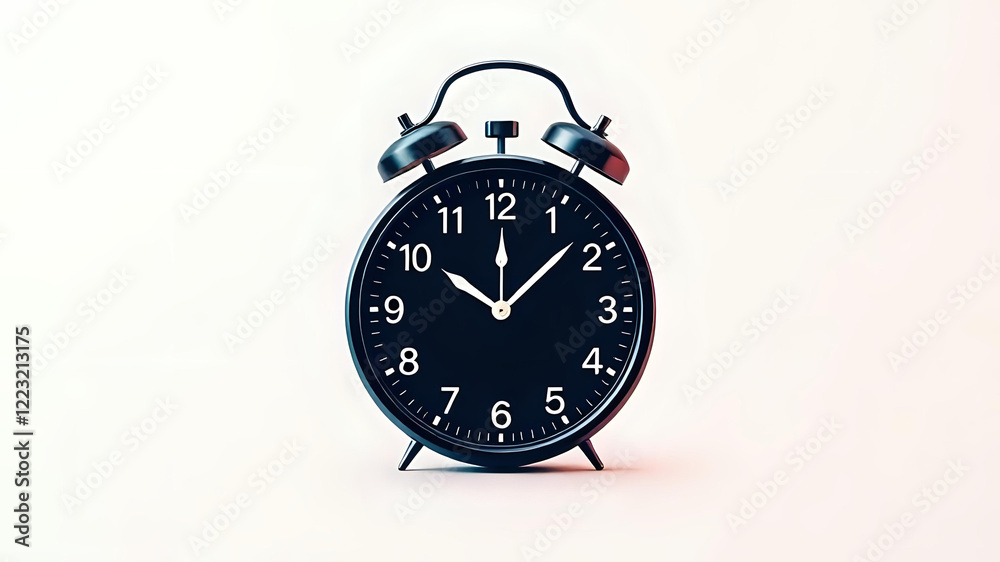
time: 10:07
